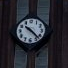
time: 10:22
